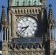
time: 8:37
